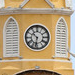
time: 10:32
